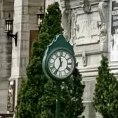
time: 11:35
